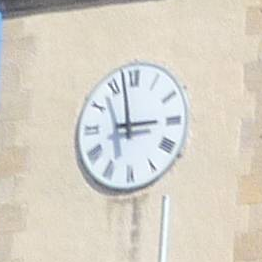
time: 2:57
